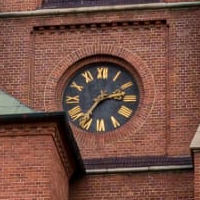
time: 2:36
